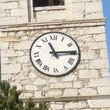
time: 11:14
